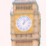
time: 12:07
